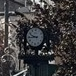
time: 9:44
